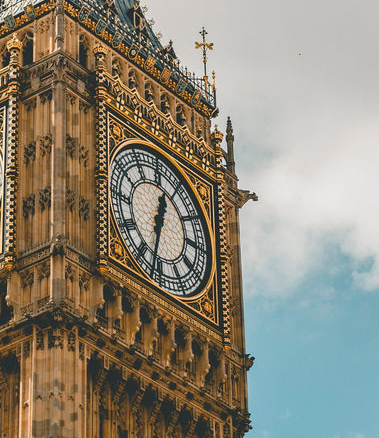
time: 12:32
